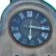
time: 6:15
